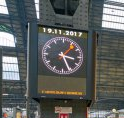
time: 3:26
